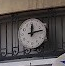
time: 12:13
